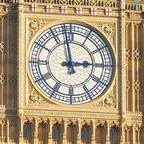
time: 2:58
